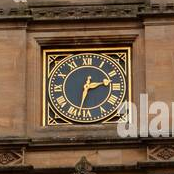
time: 2:32
